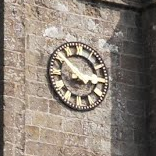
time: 3:51
